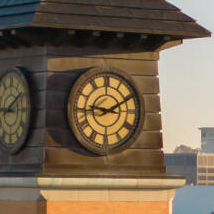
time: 9:10
